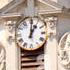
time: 1:01
